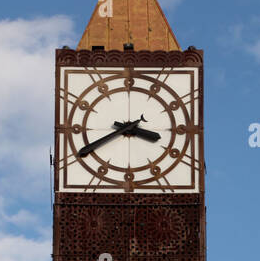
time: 3:40
